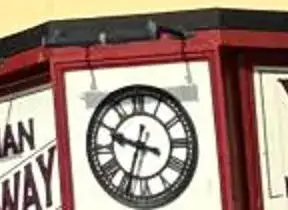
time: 9:33
